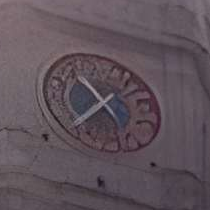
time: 10:37
